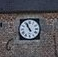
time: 10:56
